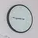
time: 8:45
